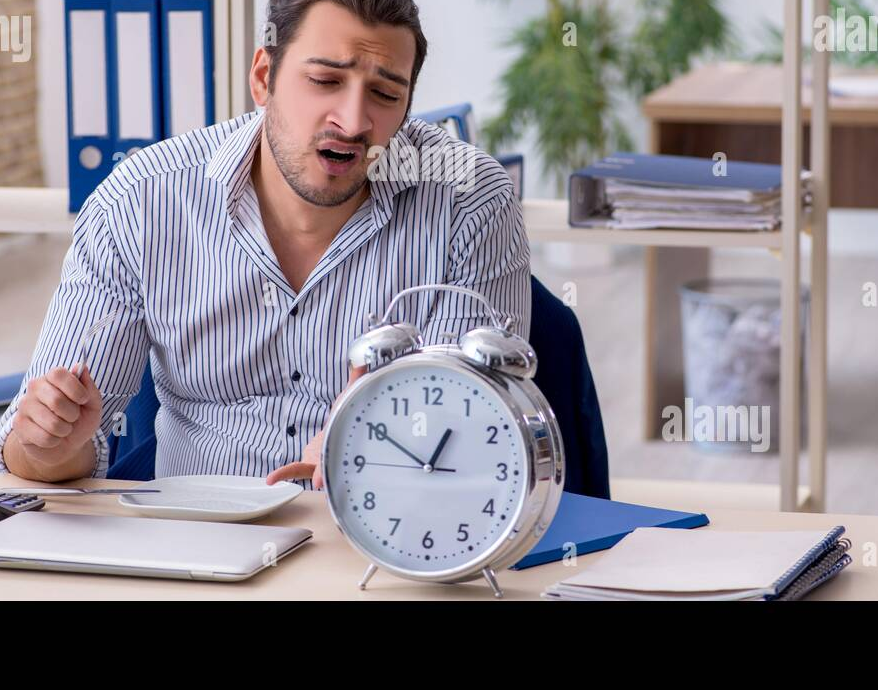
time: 12:50
